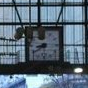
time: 8:40
